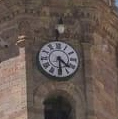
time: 4:29
